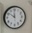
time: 11:50
